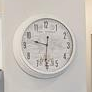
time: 9:31
